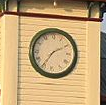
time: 7:10
